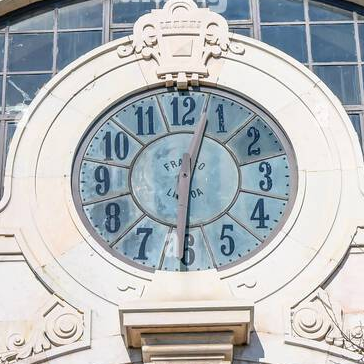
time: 12:30
